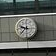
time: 9:36
